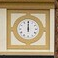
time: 12:00
